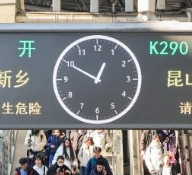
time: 12:49
